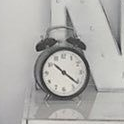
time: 10:21
